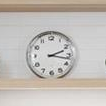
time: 2:17
